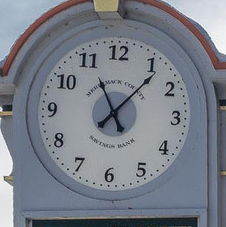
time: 11:06
